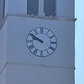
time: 9:50
